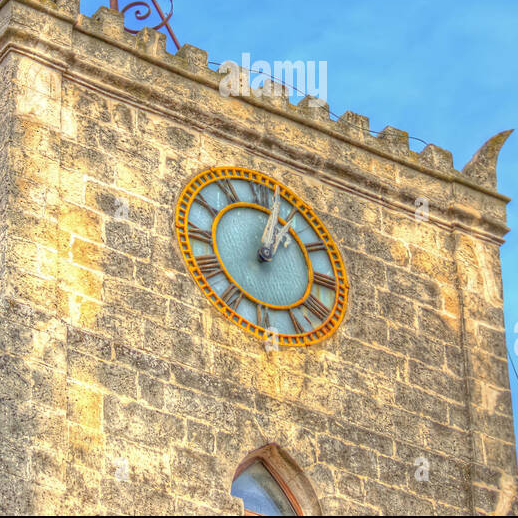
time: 1:02
